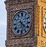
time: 4:28
